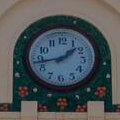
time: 1:43
